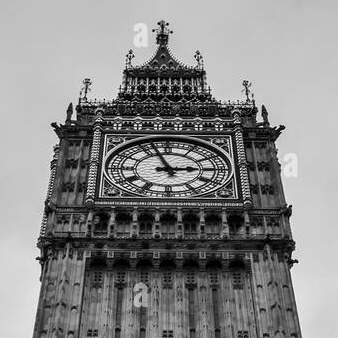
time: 2:56
